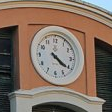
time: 4:20
